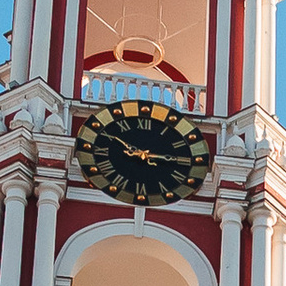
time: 10:15
